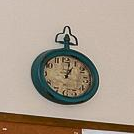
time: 1:01
